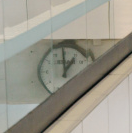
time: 12:58
